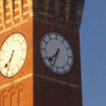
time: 7:33
